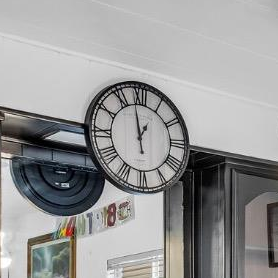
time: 12:58
